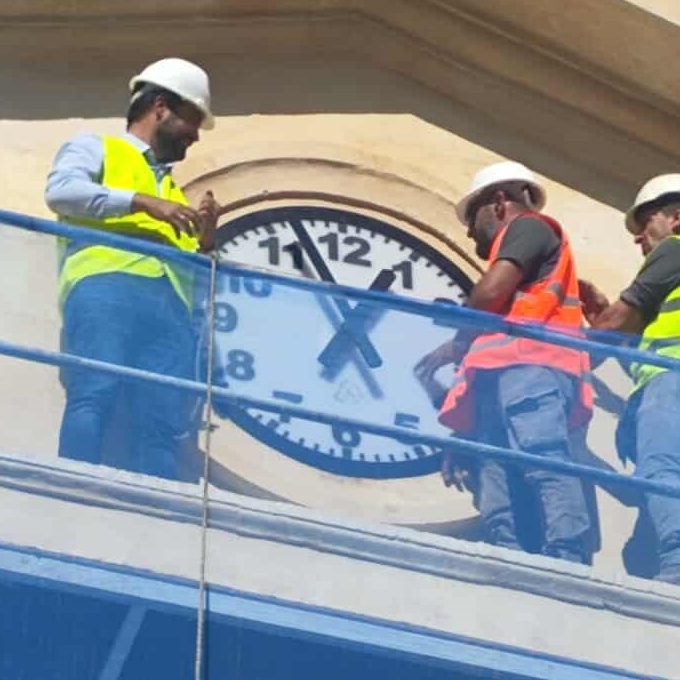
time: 12:56
